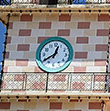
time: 12:38
